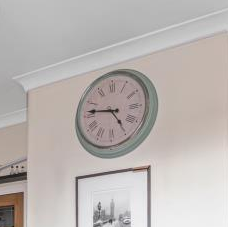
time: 4:46
